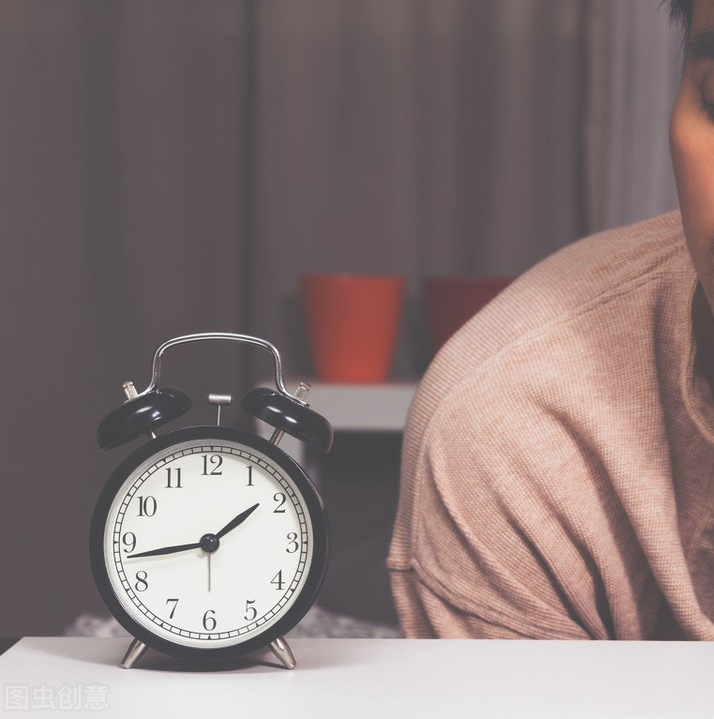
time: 1:43
